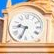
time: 9:34
